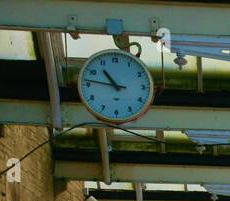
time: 10:46
